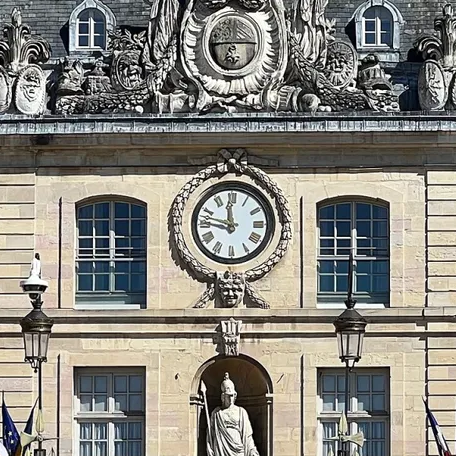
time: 11:46
